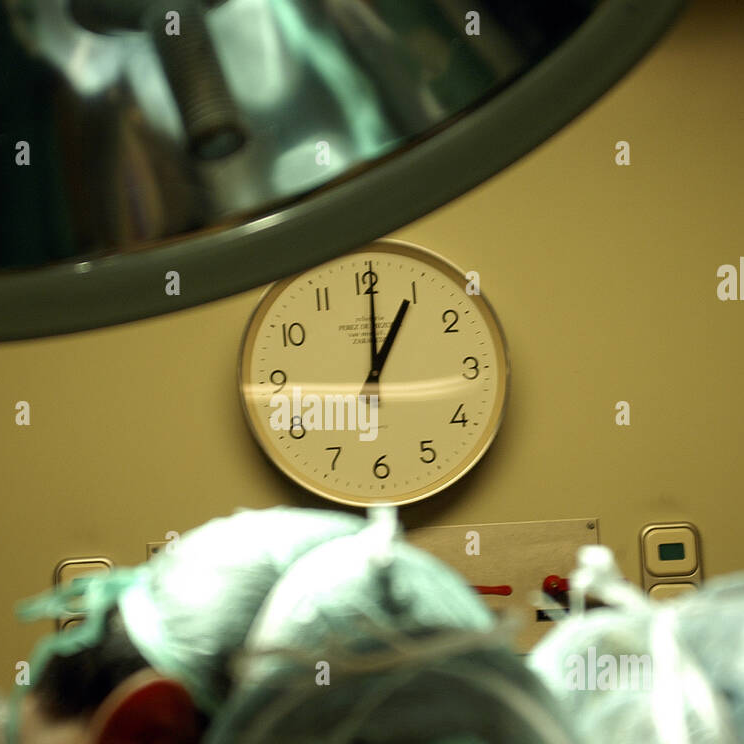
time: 1:00
